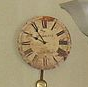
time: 9:54
